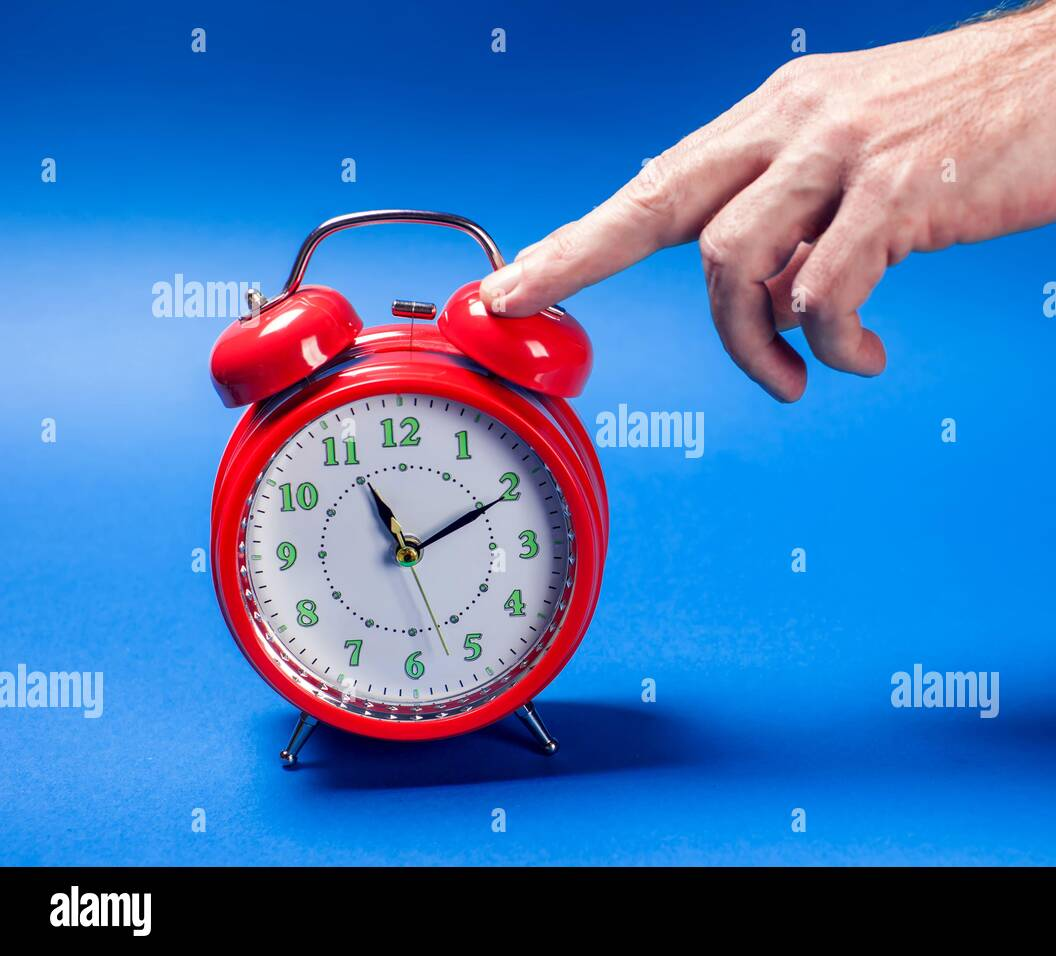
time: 11:10
